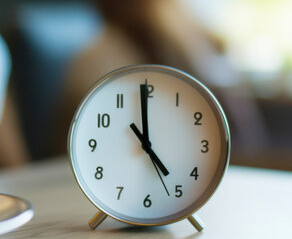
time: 4:59
